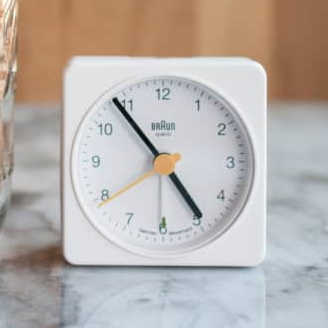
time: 4:53
